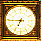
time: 6:45
